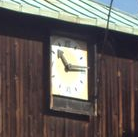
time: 10:14
